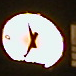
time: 11:34
